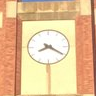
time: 8:20
